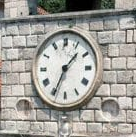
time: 1:34
